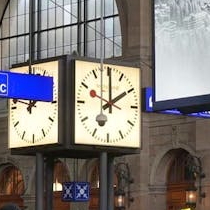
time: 2:00
